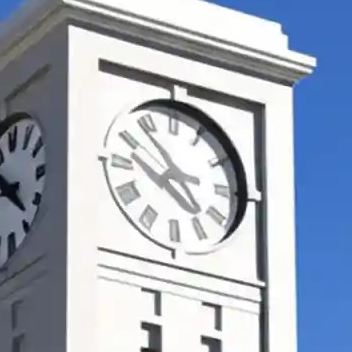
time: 2:53
